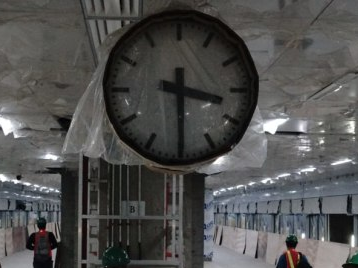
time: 3:29
